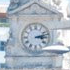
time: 3:12
